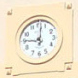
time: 9:01
